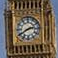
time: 2:40
